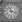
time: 11:17
